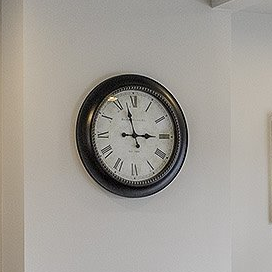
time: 2:57
